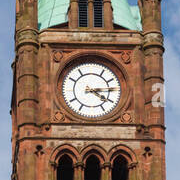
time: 4:14
